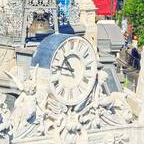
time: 10:47
